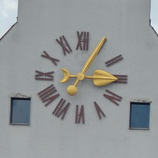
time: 3:04
